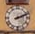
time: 2:11
